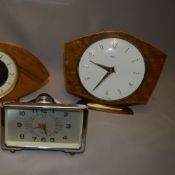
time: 9:34
